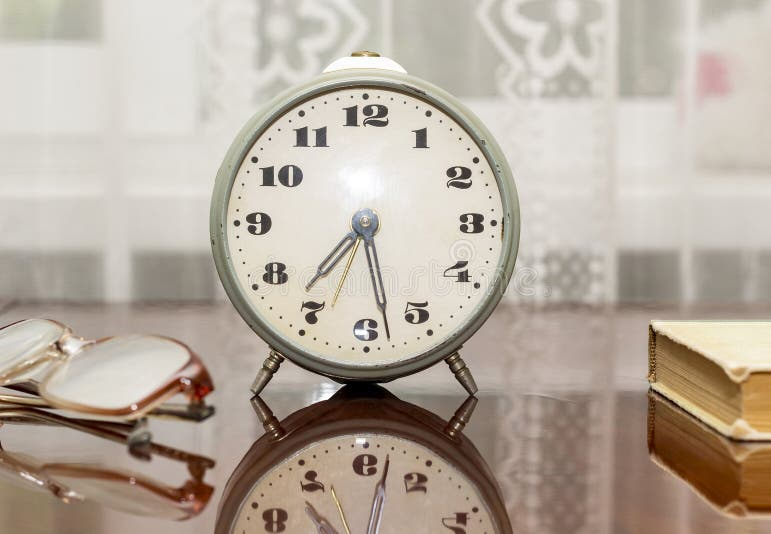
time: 7:28
